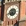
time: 4:42
